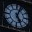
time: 5:03
